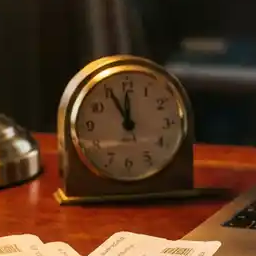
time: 11:55
